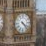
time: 4:22
